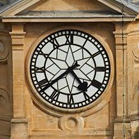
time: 4:38
